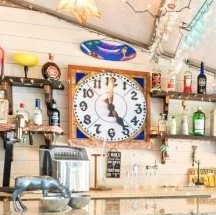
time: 5:00
